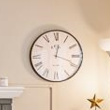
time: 12:18
